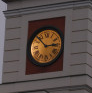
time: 2:52
